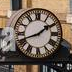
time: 1:41
